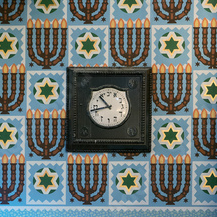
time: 10:42
